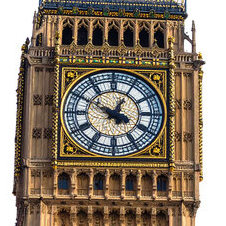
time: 12:49
